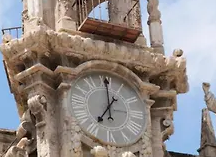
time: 7:00
